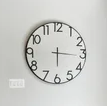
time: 6:15
